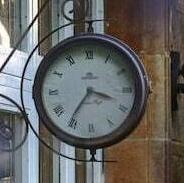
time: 3:35
